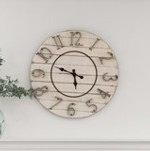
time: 5:48
